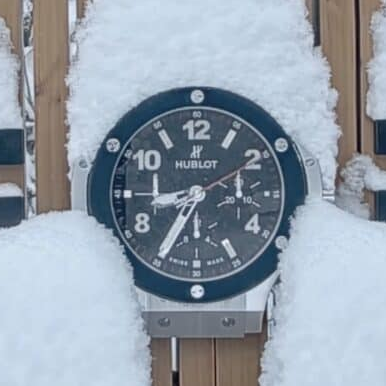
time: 8:34
